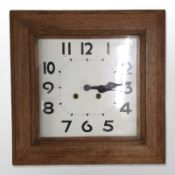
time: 3:13
